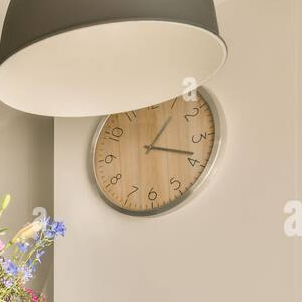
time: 1:18
